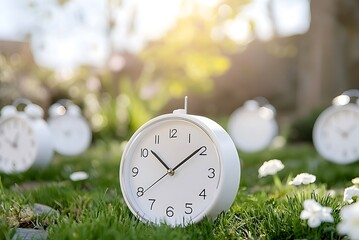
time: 10:09
